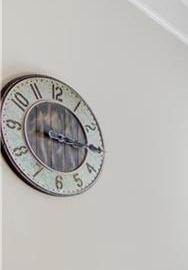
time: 9:14
